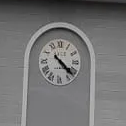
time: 4:21
